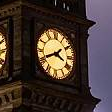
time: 3:40
